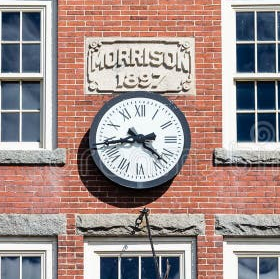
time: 2:21
